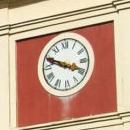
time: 3:48
